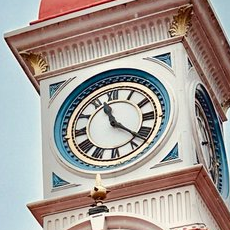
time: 11:22
